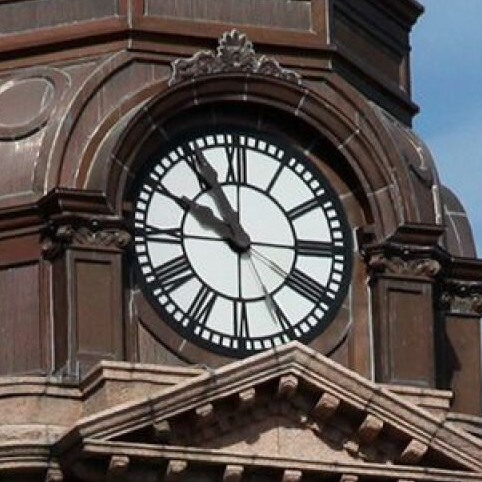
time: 9:54
